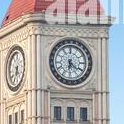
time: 6:20
